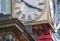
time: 3:52
